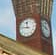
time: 11:46
